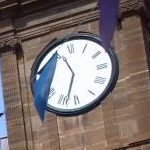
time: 11:33
